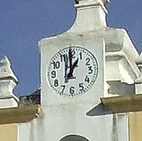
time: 12:59
